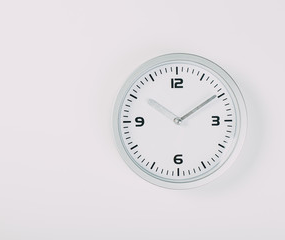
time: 10:09
